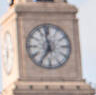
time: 6:58
